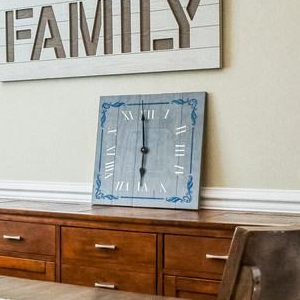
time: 5:59
